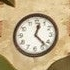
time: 12:22
